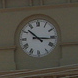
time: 10:15
